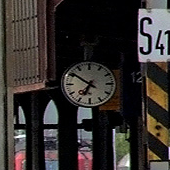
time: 6:50
